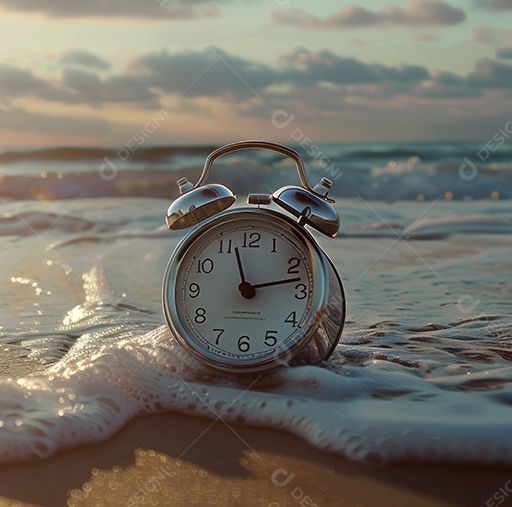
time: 11:13
